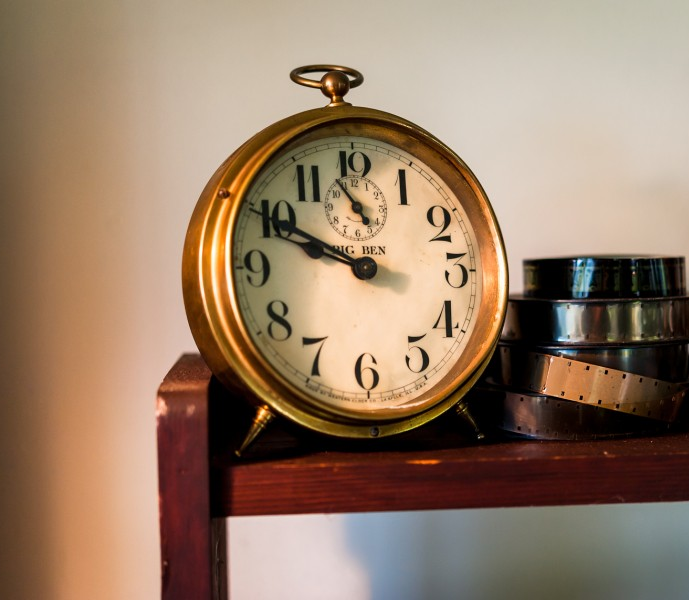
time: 9:49
